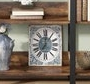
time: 7:01
